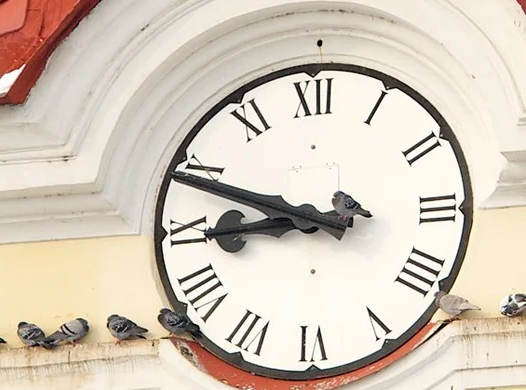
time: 8:48
